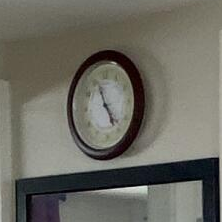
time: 4:56
